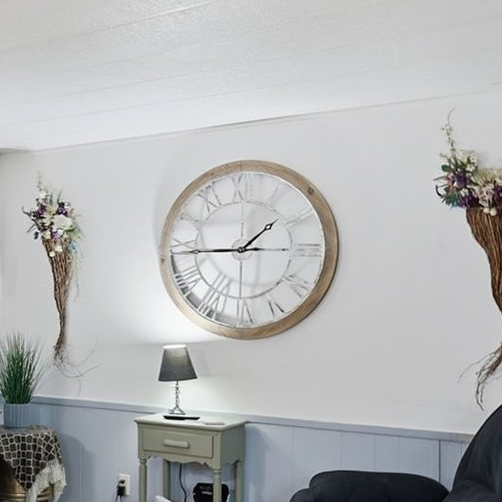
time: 1:46
